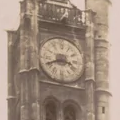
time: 3:40
